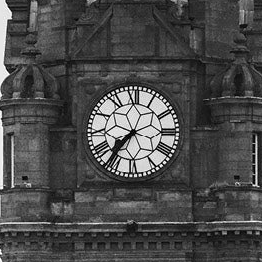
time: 7:36
